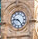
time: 9:23
